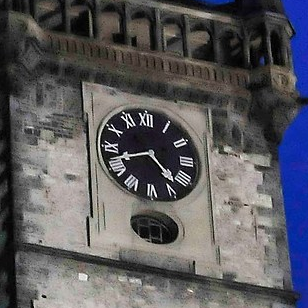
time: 4:42
